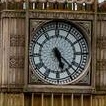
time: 5:22
